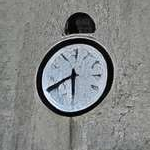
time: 5:40
